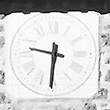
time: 9:31
